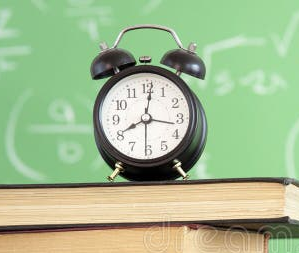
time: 8:01
